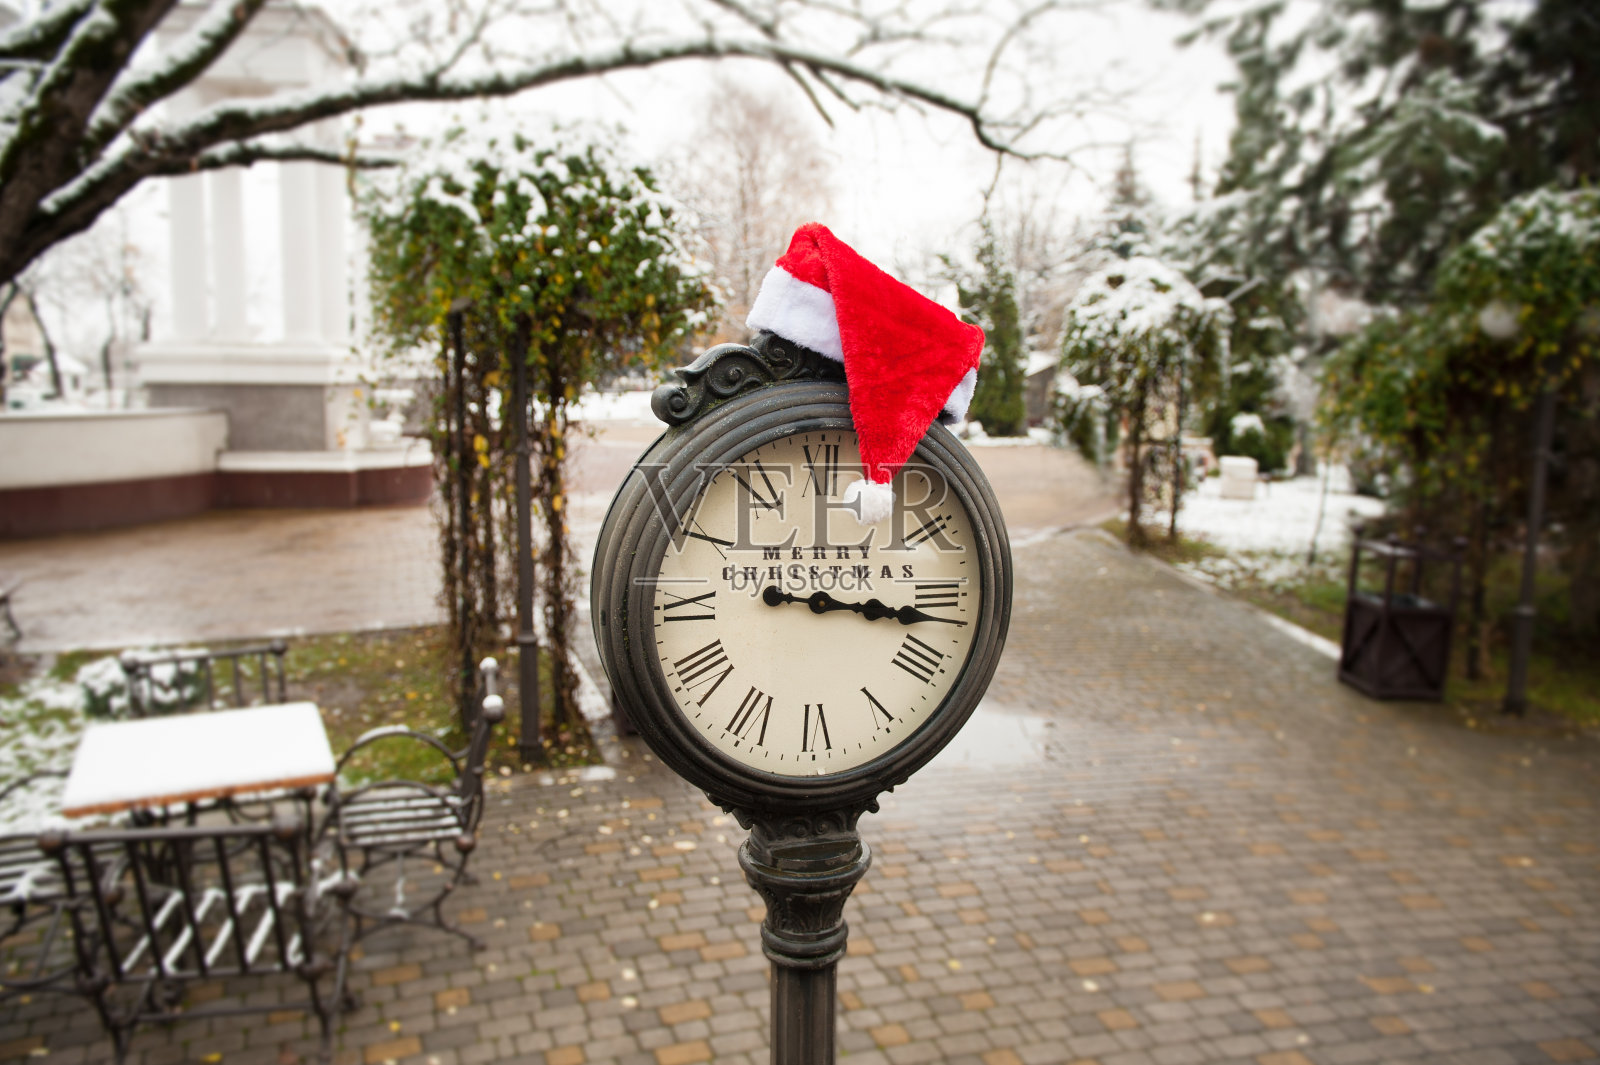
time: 3:16
